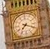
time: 7:18
